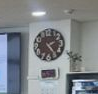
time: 2:24
